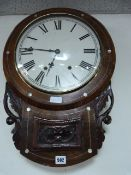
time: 6:45
